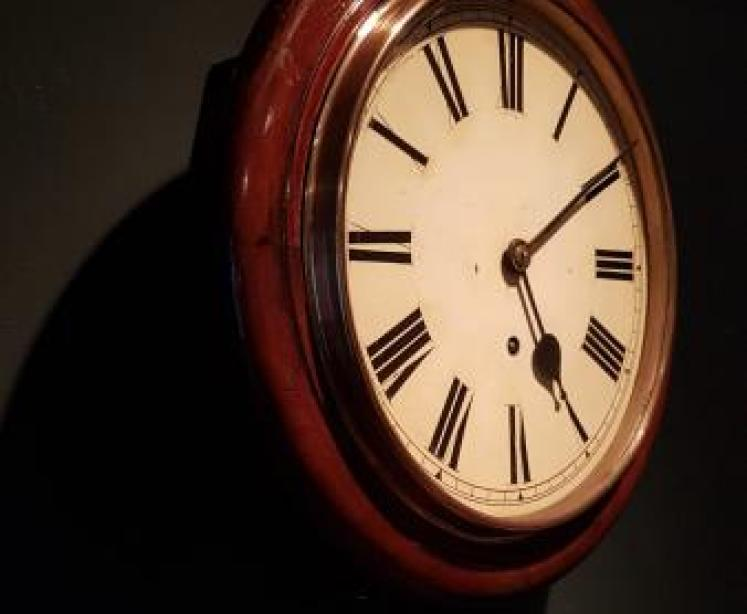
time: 5:09
